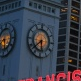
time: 5:38
